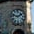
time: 1:47
